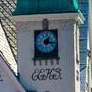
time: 1:16
